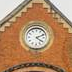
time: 4:11
